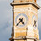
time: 4:37
